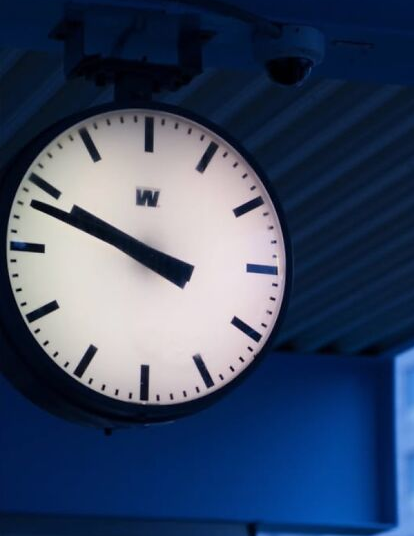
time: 9:48
